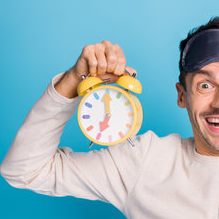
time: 7:00
